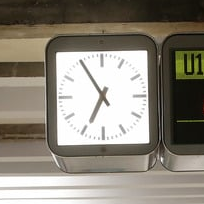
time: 6:54
